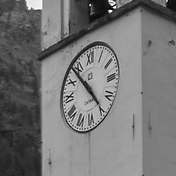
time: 4:53
